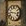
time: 9:17
